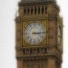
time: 3:14
